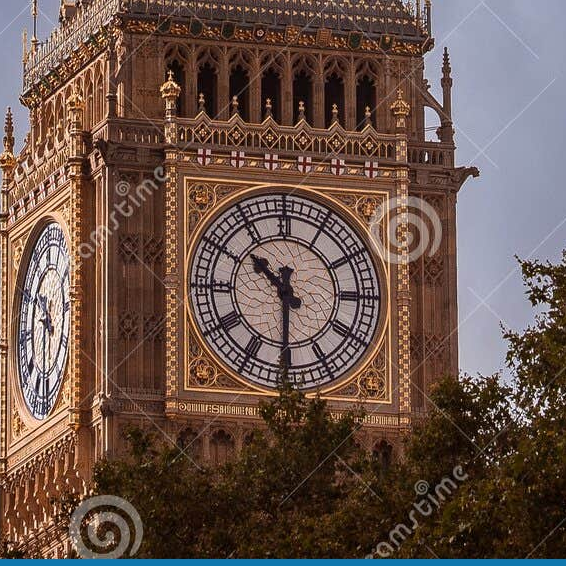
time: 10:30
